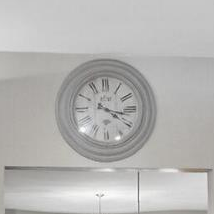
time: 3:20
